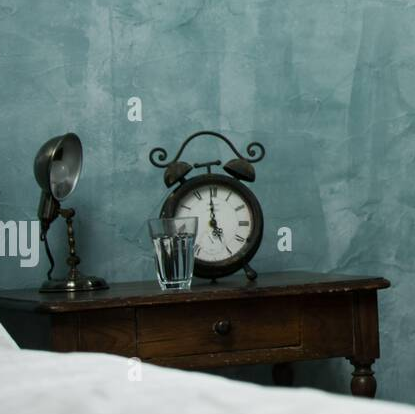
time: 4:59
